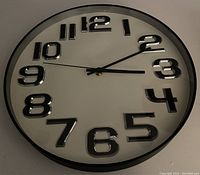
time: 3:10
